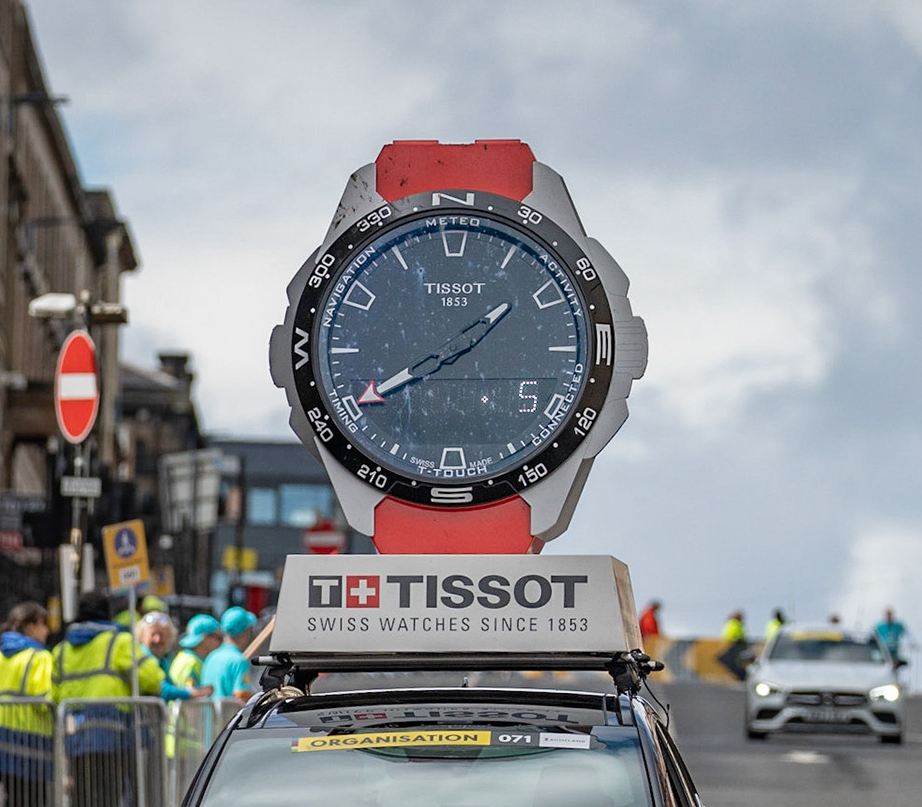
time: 1:40
